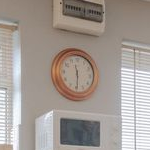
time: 11:29
